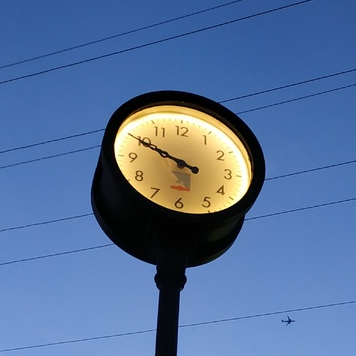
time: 9:49
